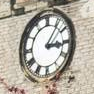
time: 3:06
